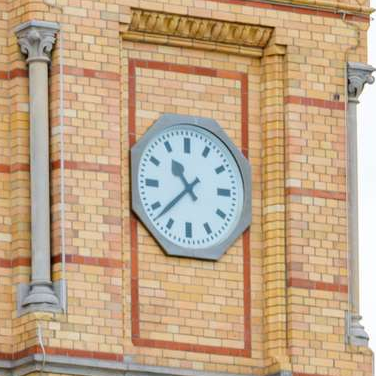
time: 10:37
